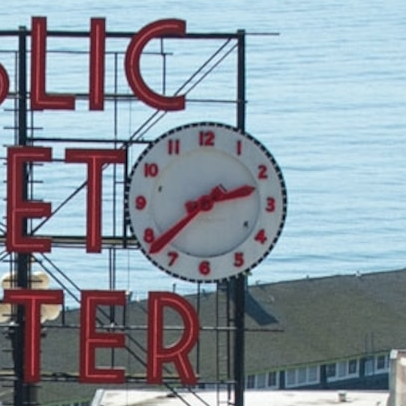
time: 2:38
